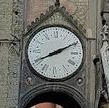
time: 8:10
